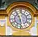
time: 5:54
